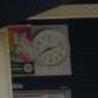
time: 8:12
